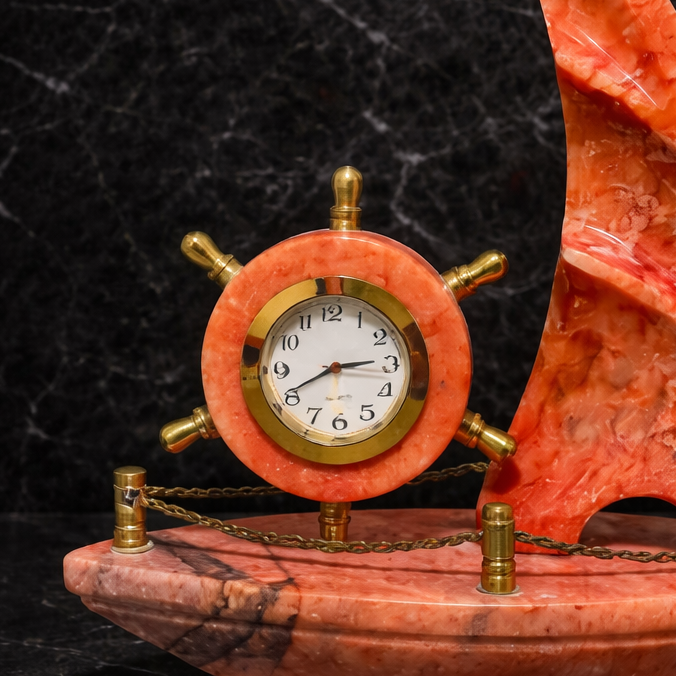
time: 2:40
